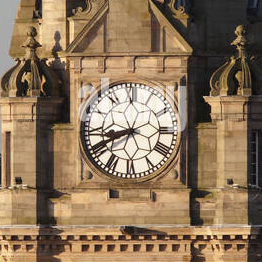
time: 8:40
